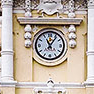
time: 11:06
